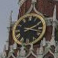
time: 2:17
